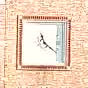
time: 11:21
